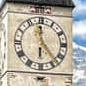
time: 5:59
